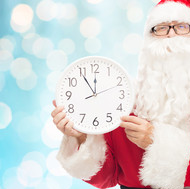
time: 11:54
